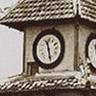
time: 11:28
